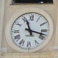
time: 11:17
